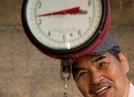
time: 2:42
